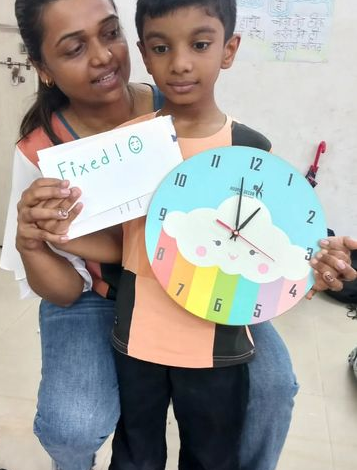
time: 12:58
